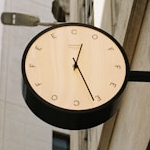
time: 12:26
